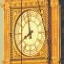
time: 7:58
